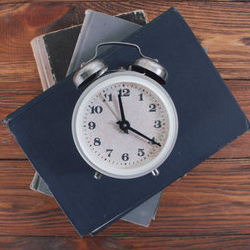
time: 3:58
